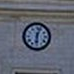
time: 6:03
